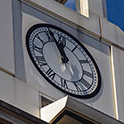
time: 11:56
